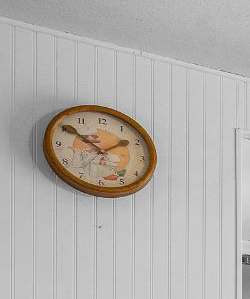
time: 1:50
